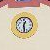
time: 12:28
